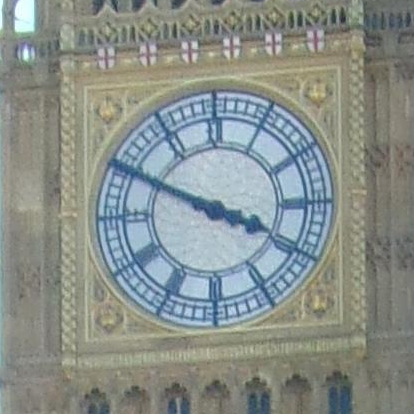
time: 3:49
